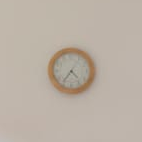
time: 4:35
